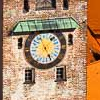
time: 1:26
